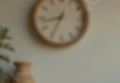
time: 8:34
